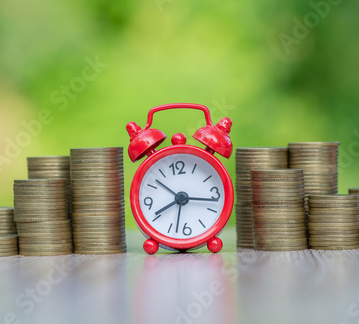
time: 8:16
